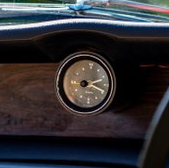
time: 2:18
